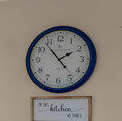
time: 1:53
